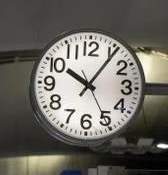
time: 10:06
